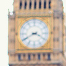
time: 3:40
